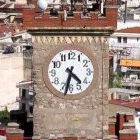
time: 4:32
